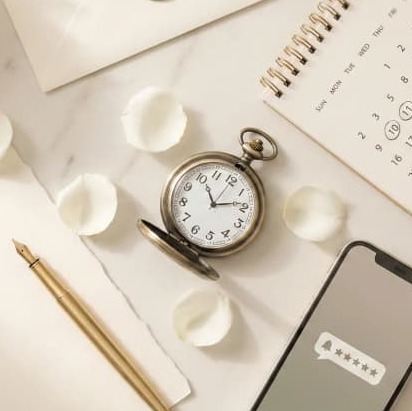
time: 11:13
